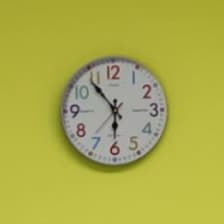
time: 5:53
